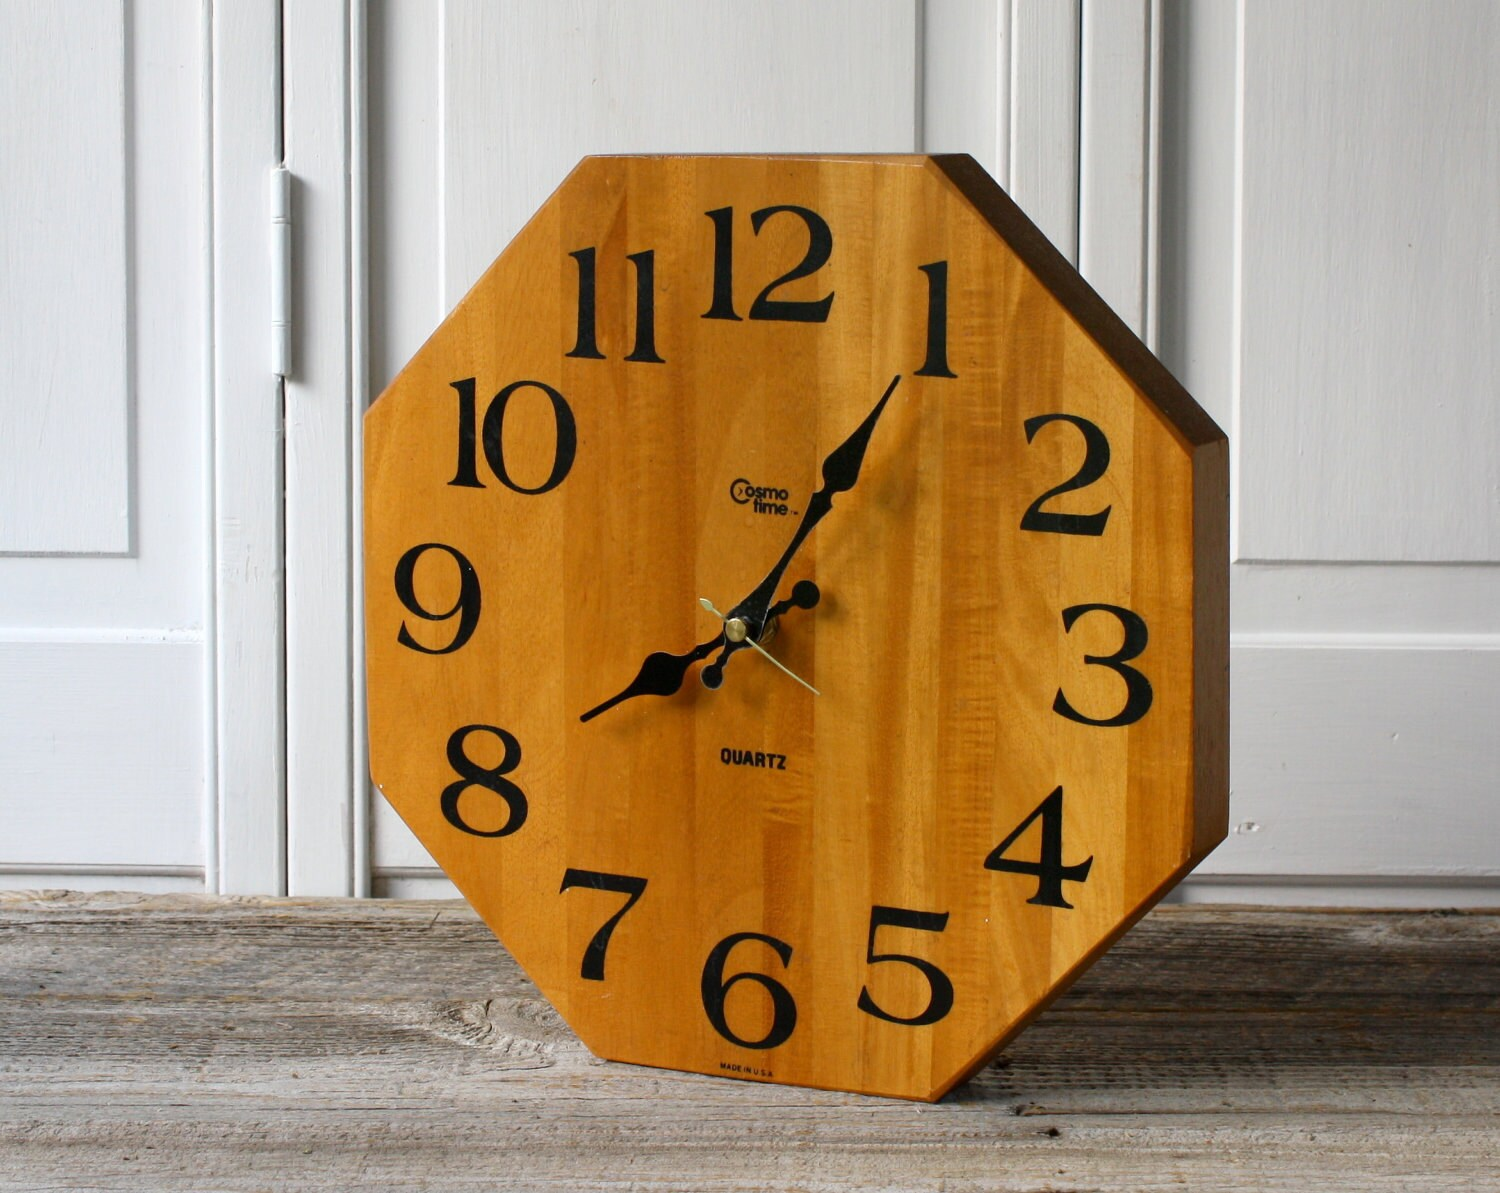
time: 8:05
